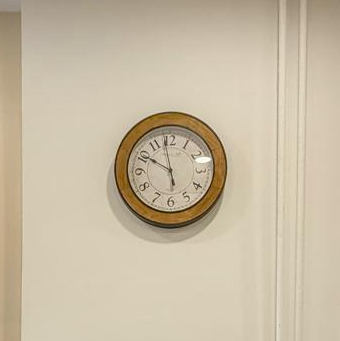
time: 9:58
